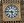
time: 5:46
